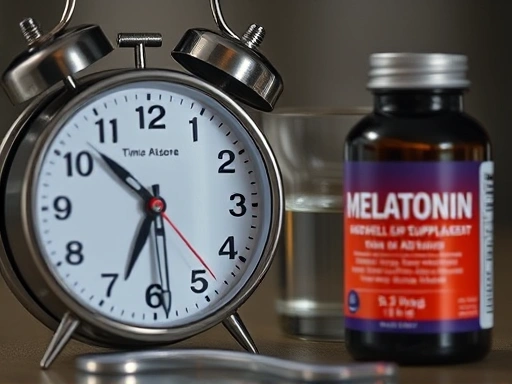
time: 10:33
